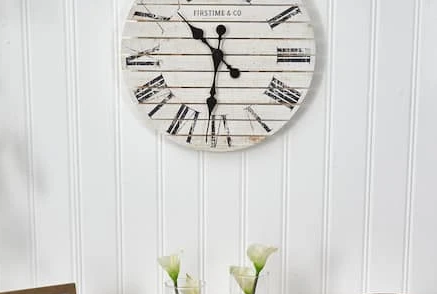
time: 10:31
